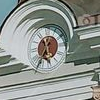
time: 5:35
